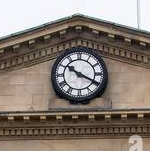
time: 10:19
